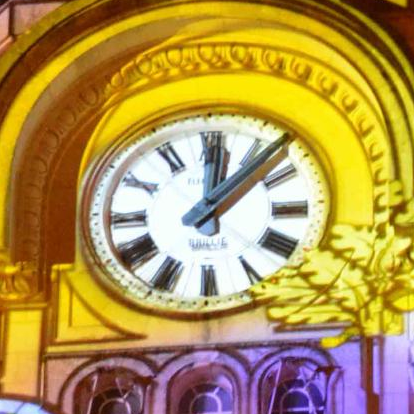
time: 12:07
